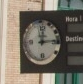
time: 12:14
